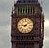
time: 9:08
